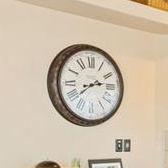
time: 2:38
